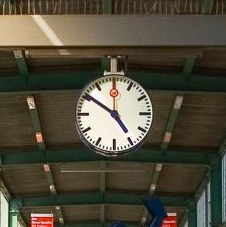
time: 4:50
